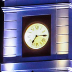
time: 7:14
